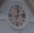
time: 12:13
